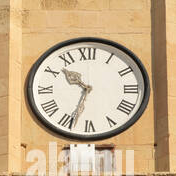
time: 10:33
